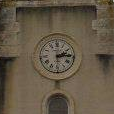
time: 2:14
